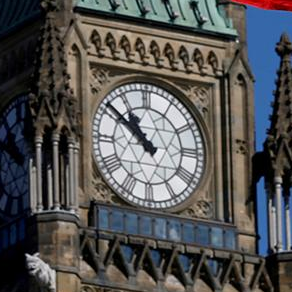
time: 10:51
